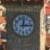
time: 12:14
